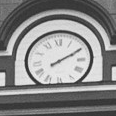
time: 2:10
